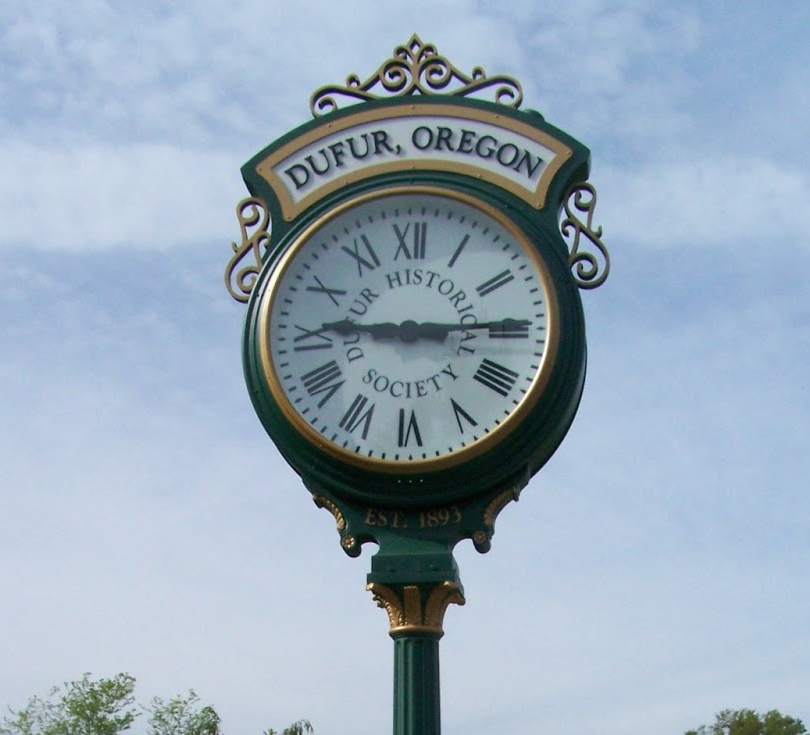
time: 9:14
